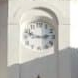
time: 2:48
